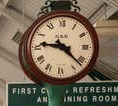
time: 9:22
